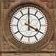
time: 4:00
